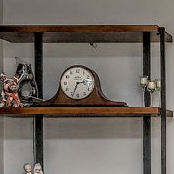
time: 2:33
